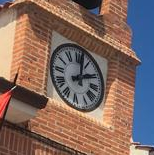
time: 2:01
